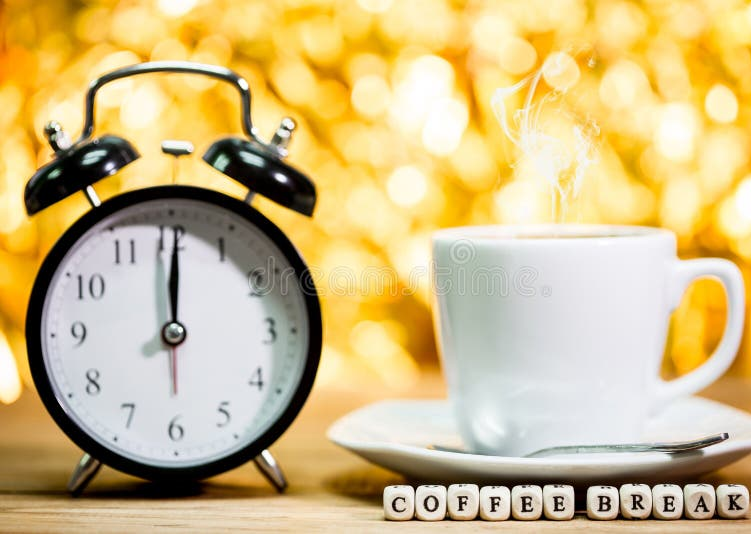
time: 12:00
